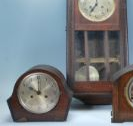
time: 10:00
